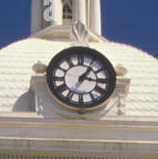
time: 1:16
